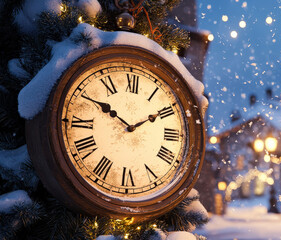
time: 1:50
